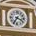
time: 3:35
